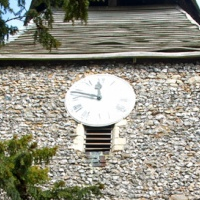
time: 11:47
